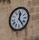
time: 12:23
